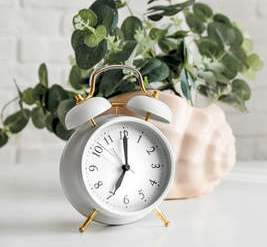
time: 7:00
